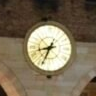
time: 8:34
